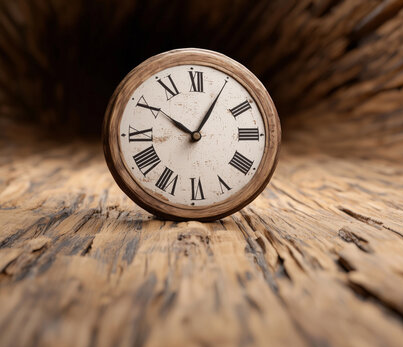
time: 10:05
